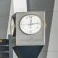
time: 12:13
